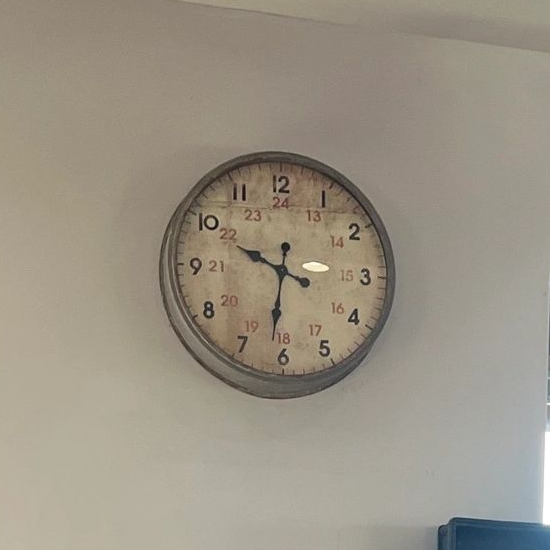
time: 9:31
